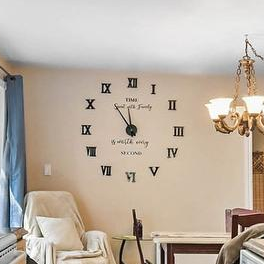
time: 11:54
